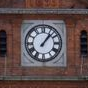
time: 1:07
